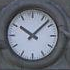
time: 10:07
